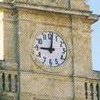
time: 9:01
